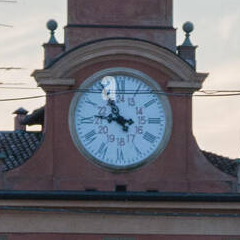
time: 10:46
